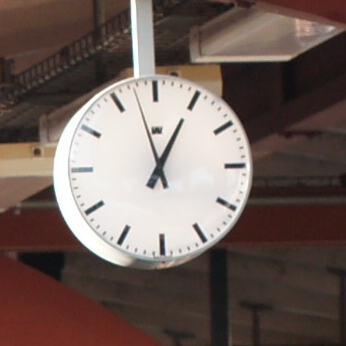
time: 12:57
